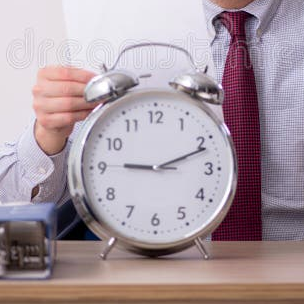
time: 9:11
